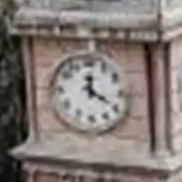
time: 12:20
